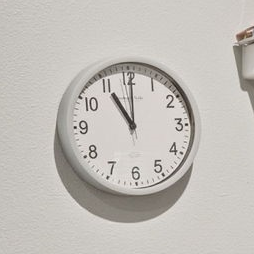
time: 11:00
